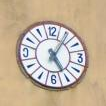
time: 5:05
